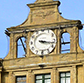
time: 3:17
